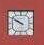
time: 9:50
